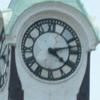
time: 4:12
